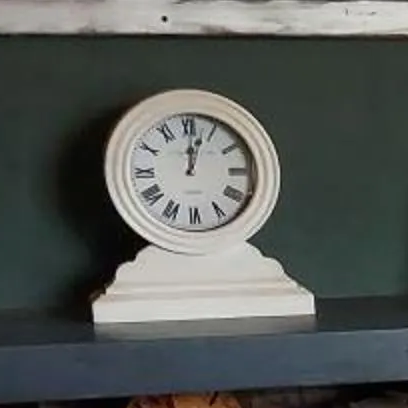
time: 12:02
